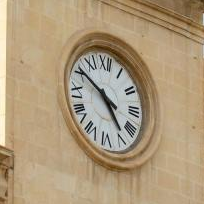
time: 4:50
